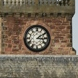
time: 3:09
